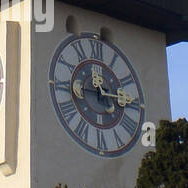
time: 11:15
